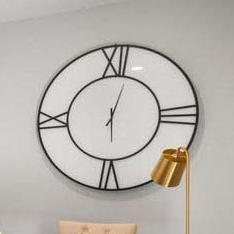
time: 6:02
